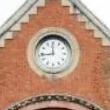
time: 11:43
